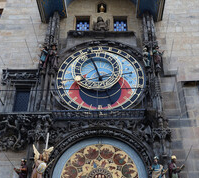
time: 7:55
